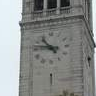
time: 10:47
